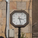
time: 3:27
